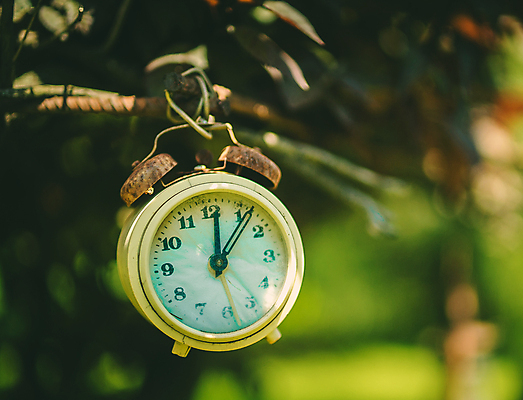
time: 12:06
